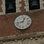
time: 12:43
